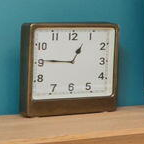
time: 12:45
